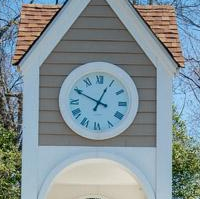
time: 12:49
